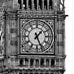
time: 1:26
